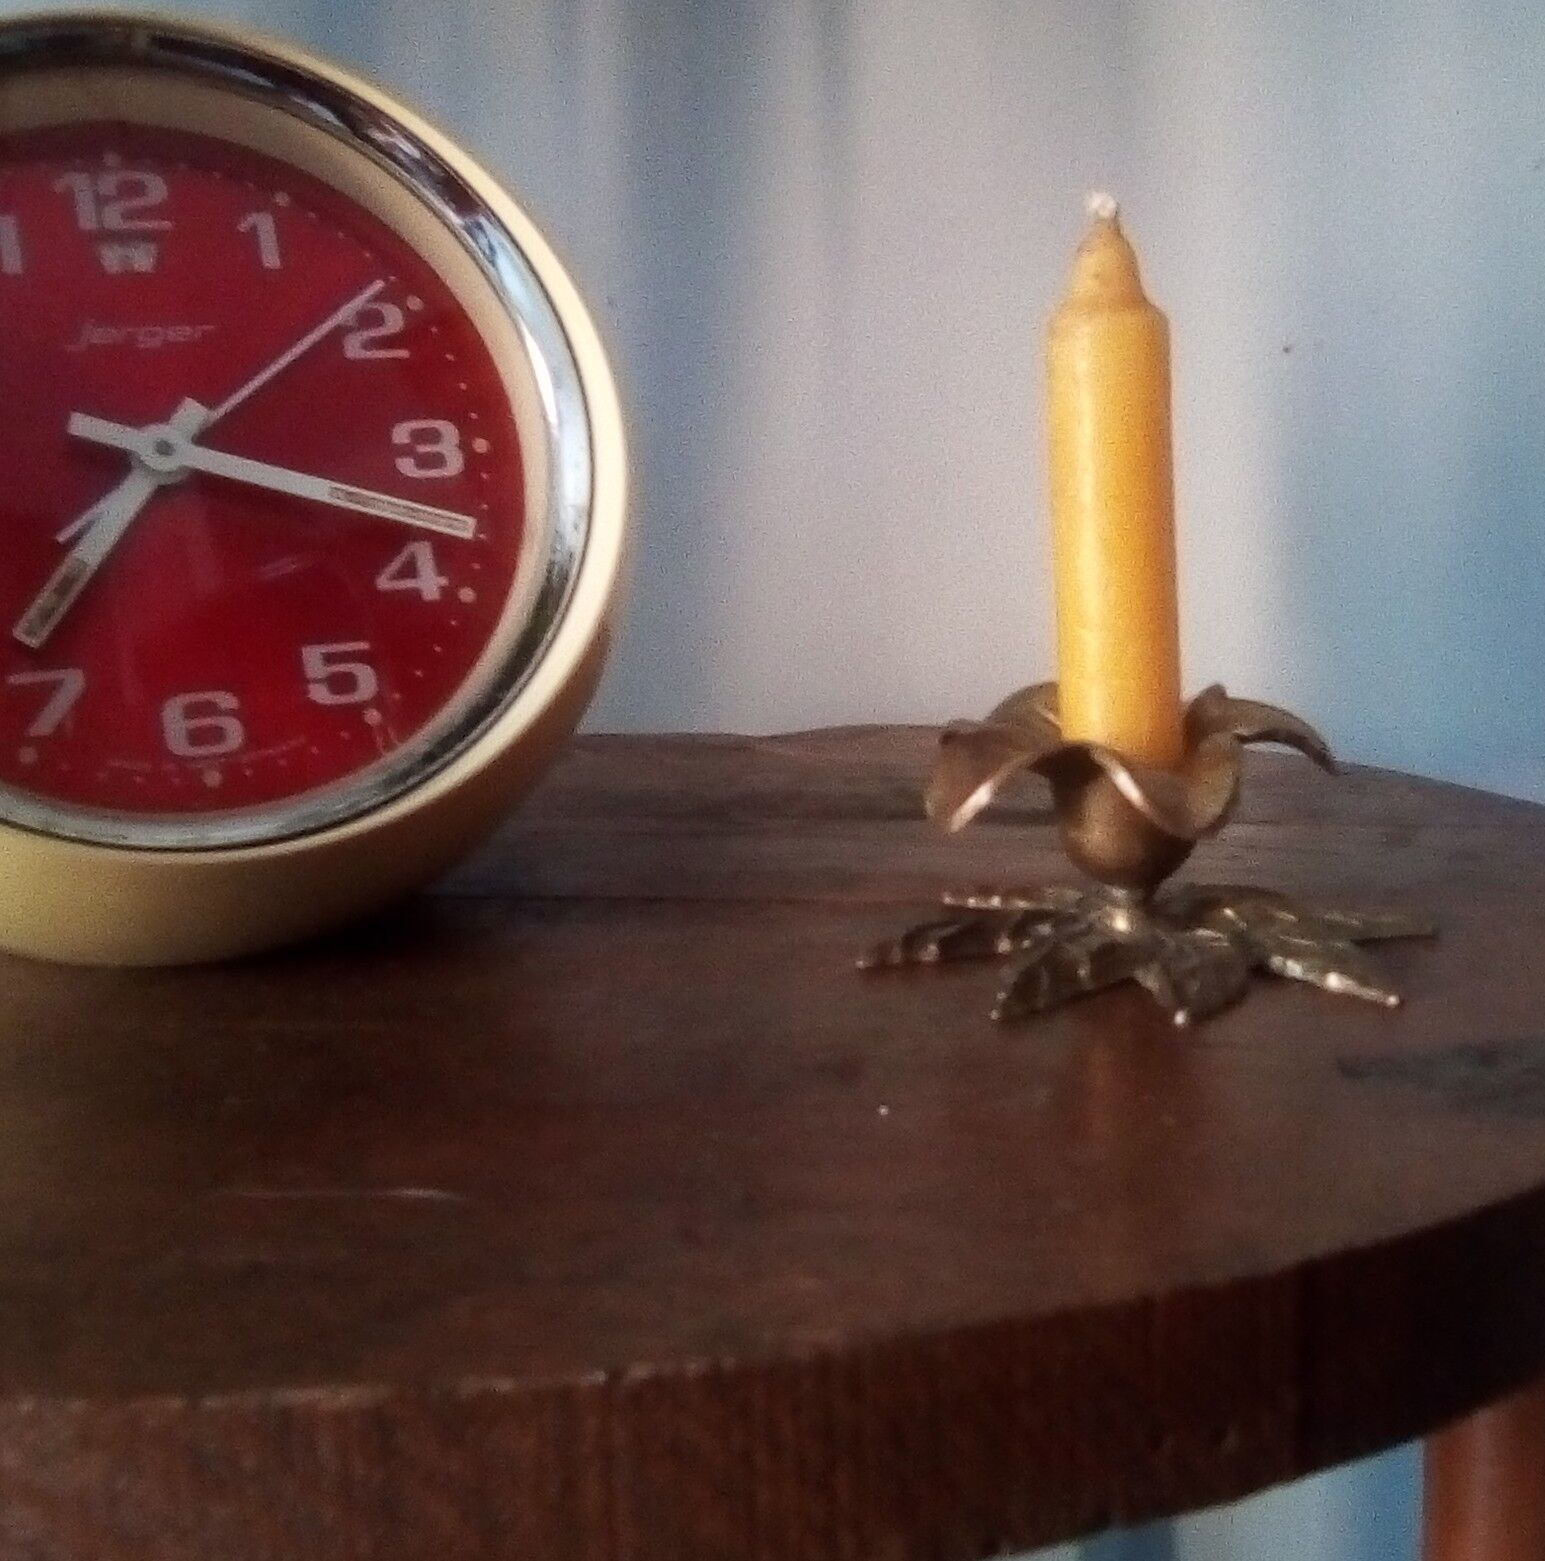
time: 7:18
